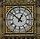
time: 12:52
